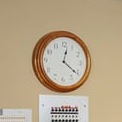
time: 12:20
